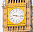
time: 9:16
